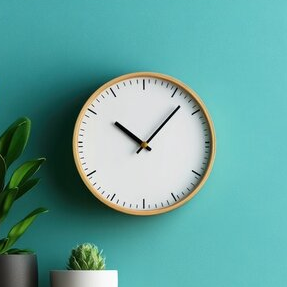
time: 10:07
